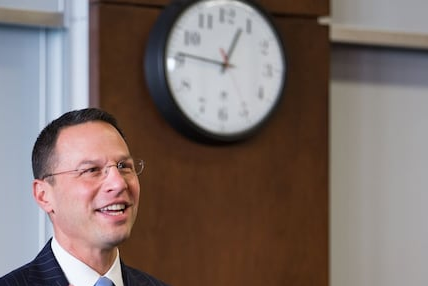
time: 12:46
